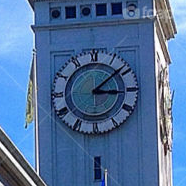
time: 3:08
